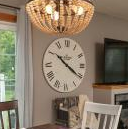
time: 10:20
